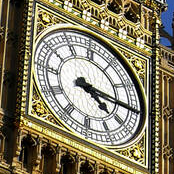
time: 4:15
